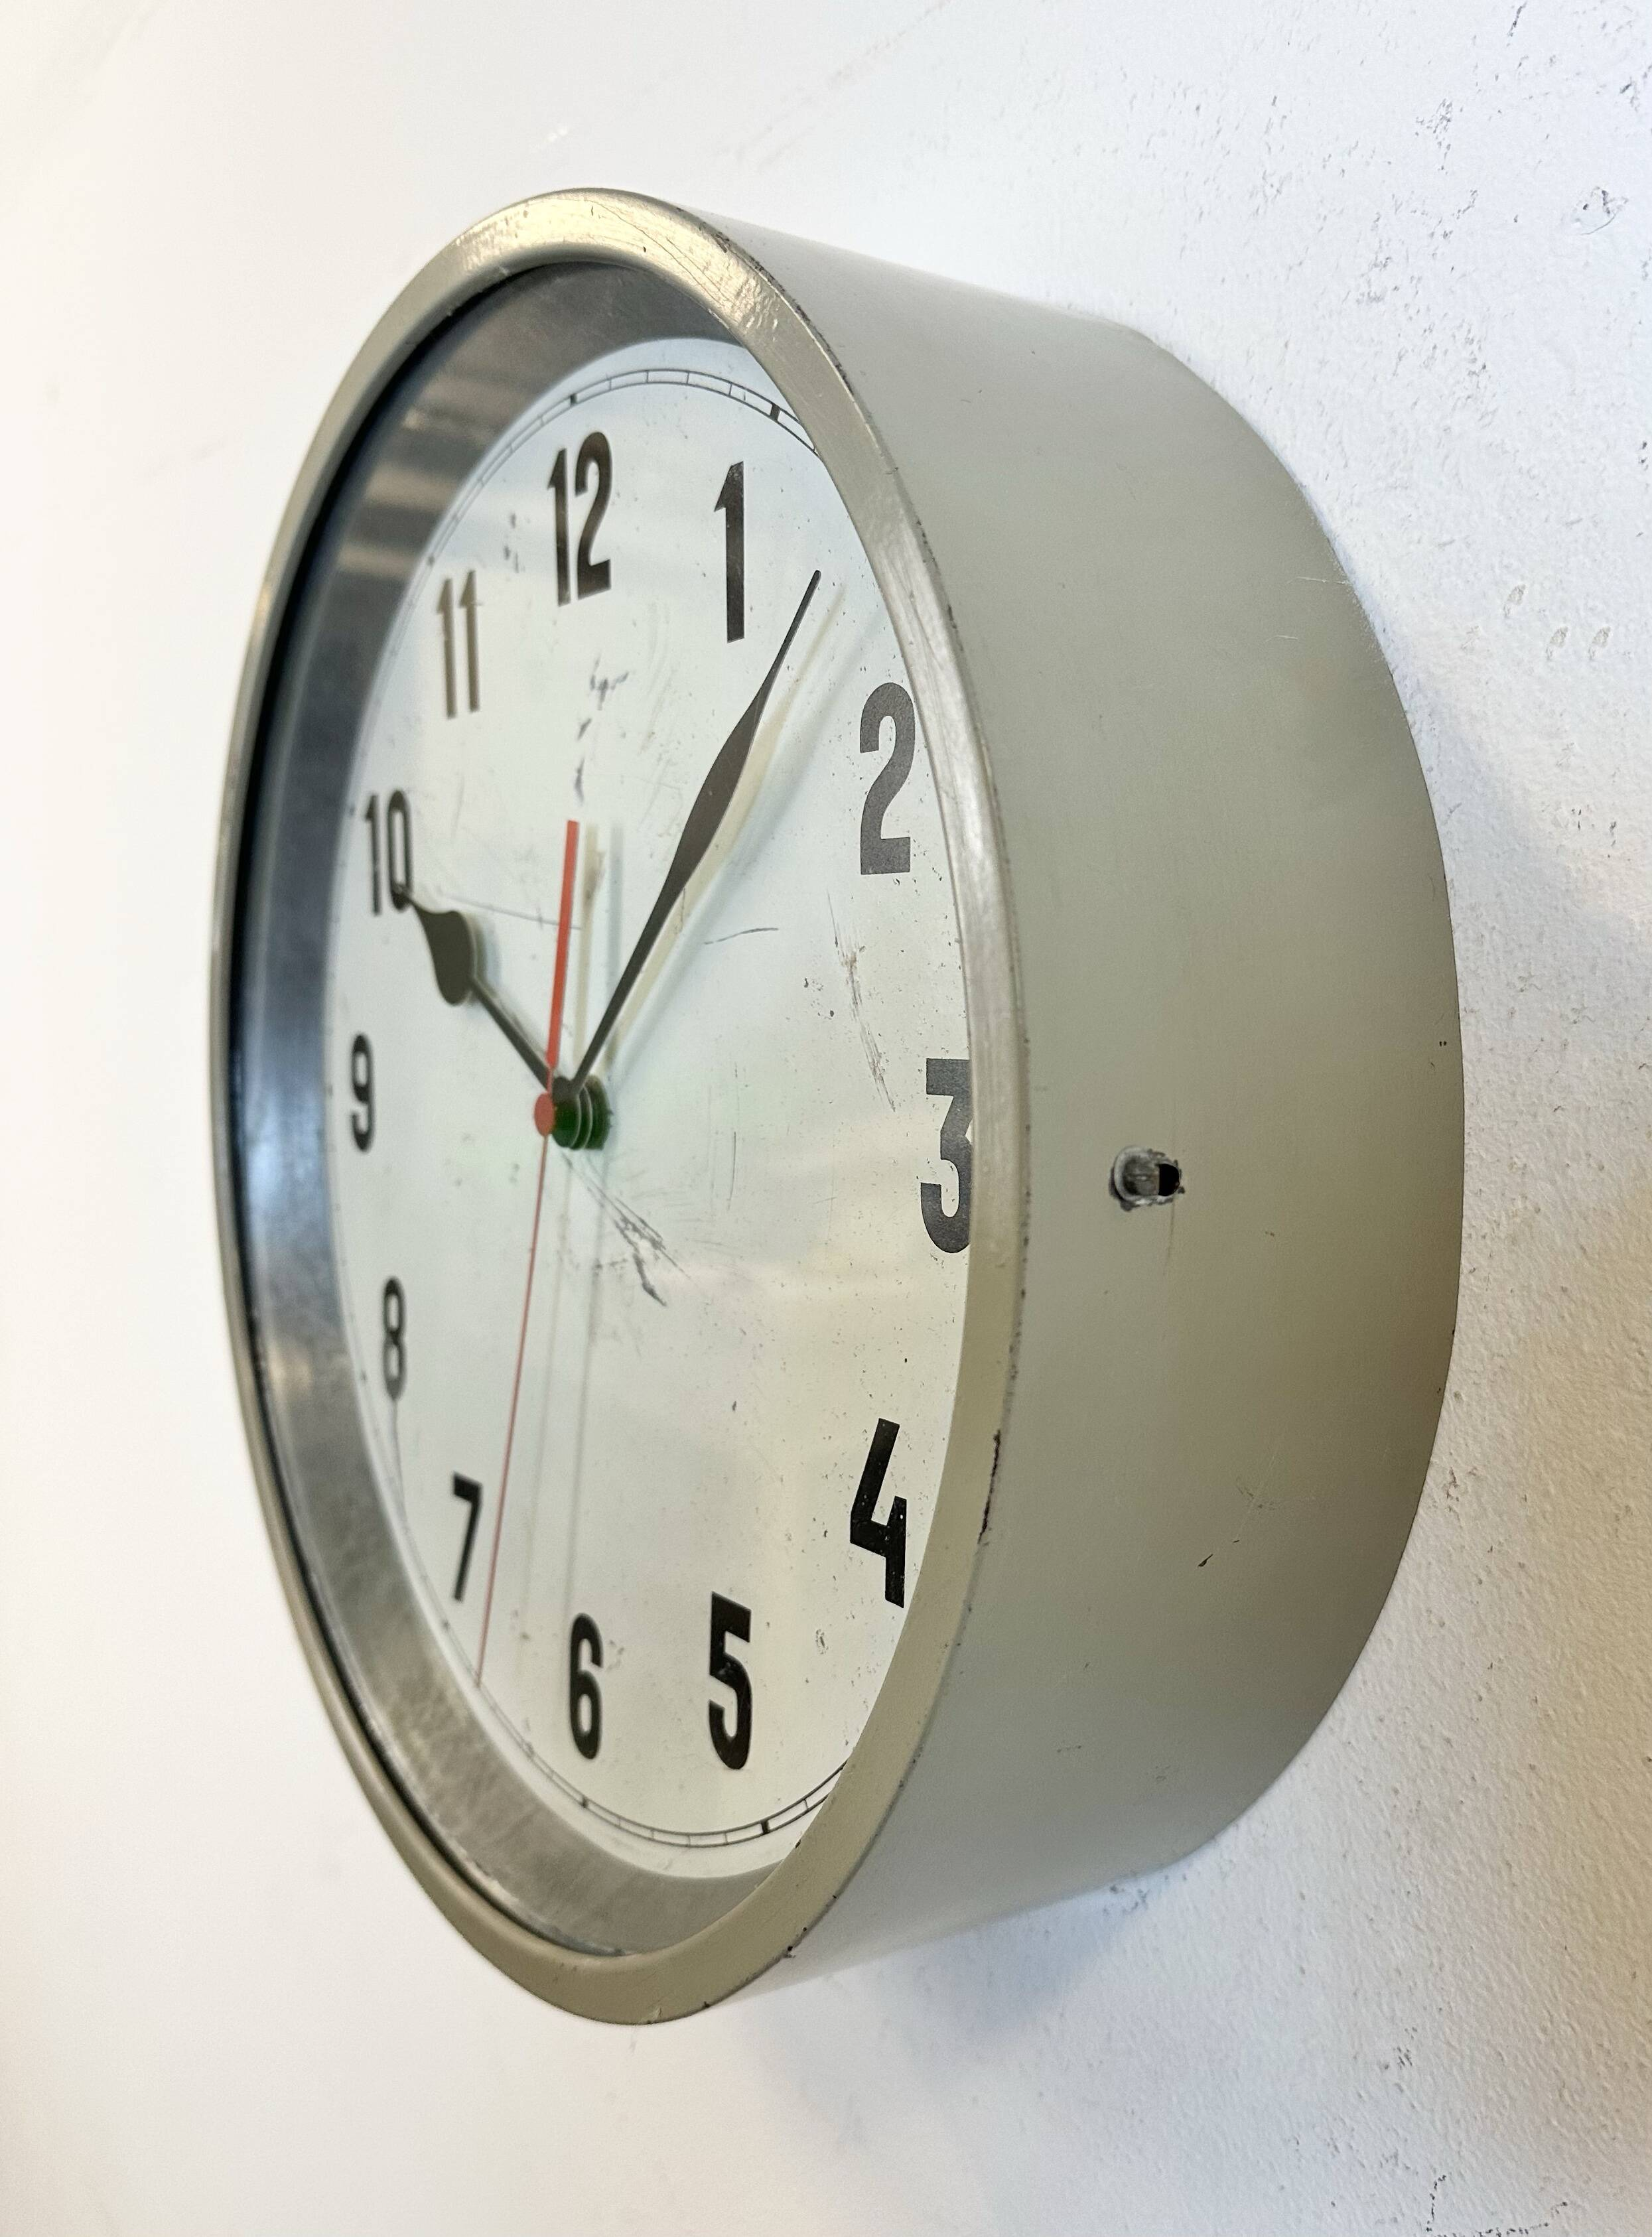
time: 10:07
